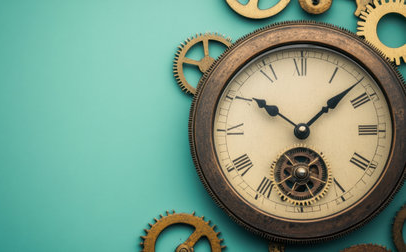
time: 10:07
